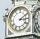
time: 3:09
